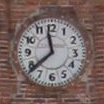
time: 11:38
